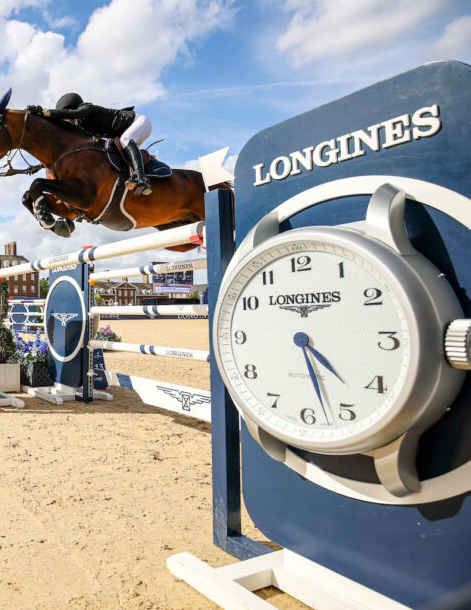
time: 4:27
